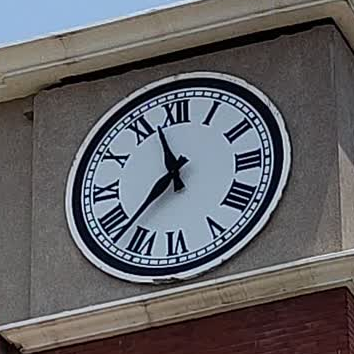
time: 11:37
